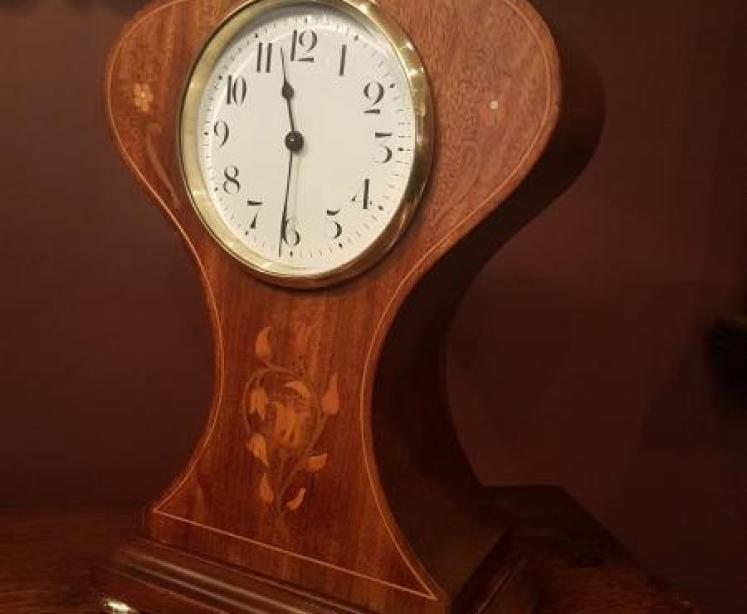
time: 11:31
